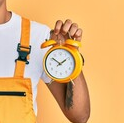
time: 1:51
